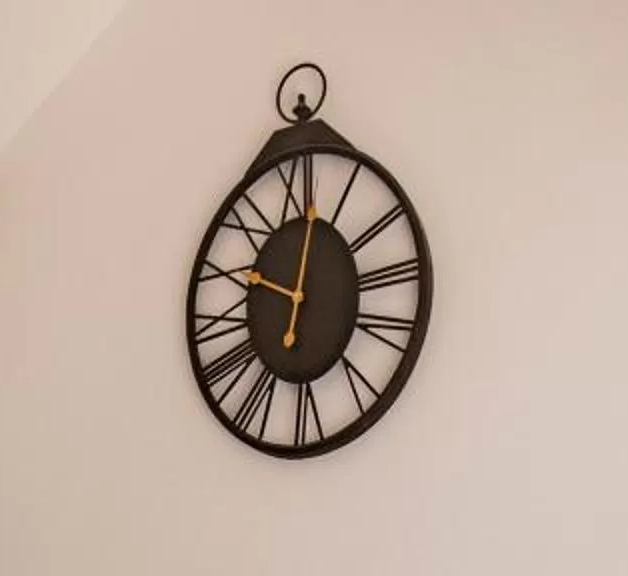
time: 10:02
